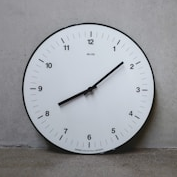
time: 8:08
